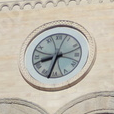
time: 8:32
